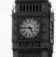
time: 4:46
